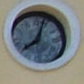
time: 8:03
